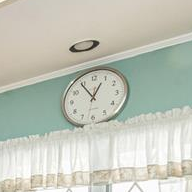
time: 12:54
